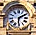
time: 6:10
